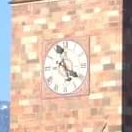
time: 5:20
